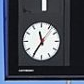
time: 11:35
